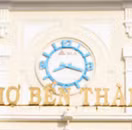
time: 8:17
